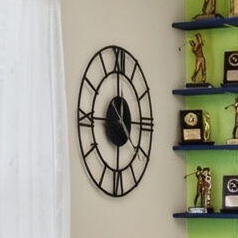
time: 3:58
